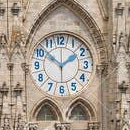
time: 1:51
